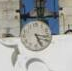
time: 5:16
